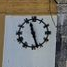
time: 11:27
